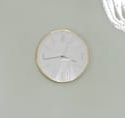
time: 3:43
